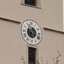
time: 5:18
